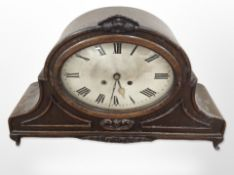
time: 5:31
